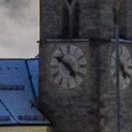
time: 4:50
